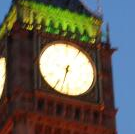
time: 6:32
